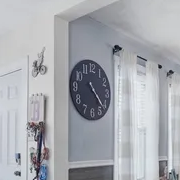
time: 4:22
